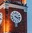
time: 4:16
